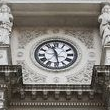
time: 11:28
